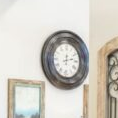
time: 12:12
